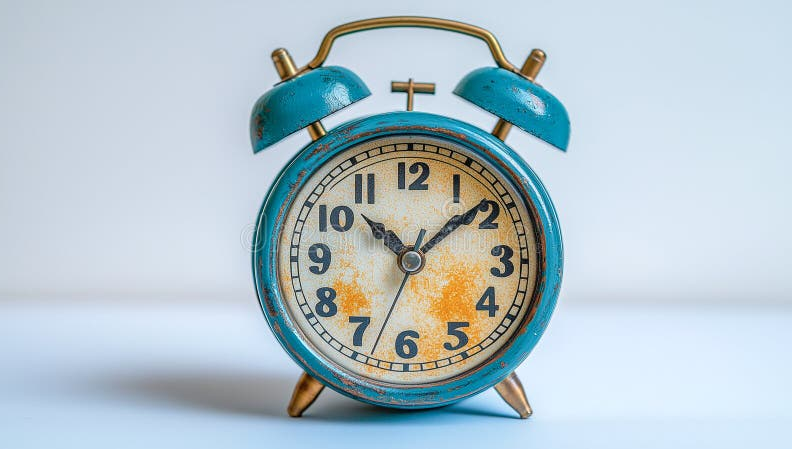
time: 10:08
